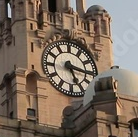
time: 5:16
